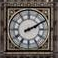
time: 2:10
